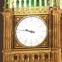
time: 9:46
